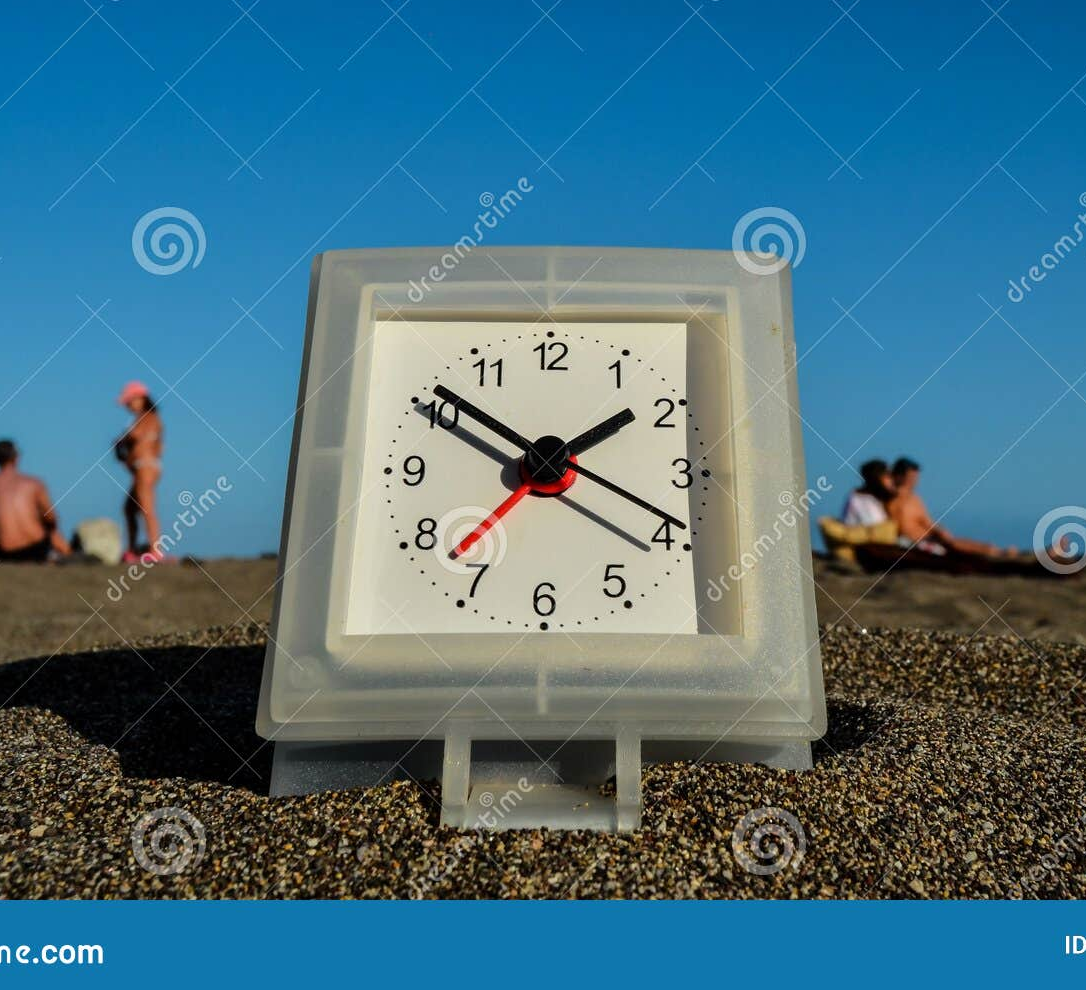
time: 1:50
